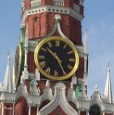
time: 10:25
